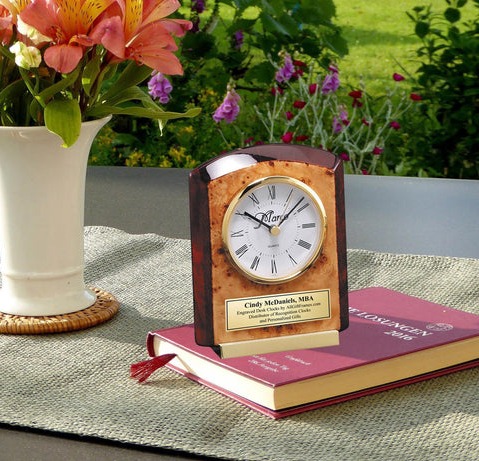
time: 10:07
